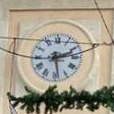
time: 2:28
